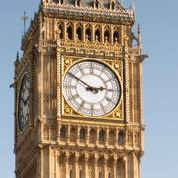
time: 2:50
